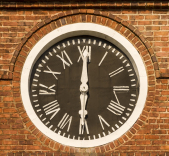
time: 6:00
